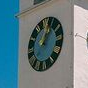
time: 1:02
